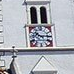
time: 10:14
